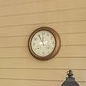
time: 11:55
